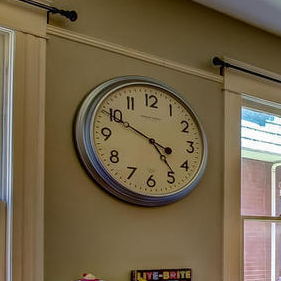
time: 4:49
